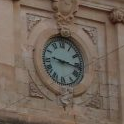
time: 9:16
